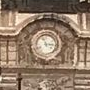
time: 2:56
